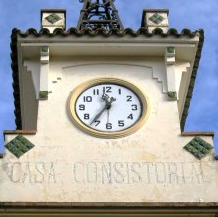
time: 11:35
